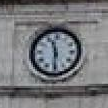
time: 11:29
